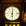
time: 6:01
